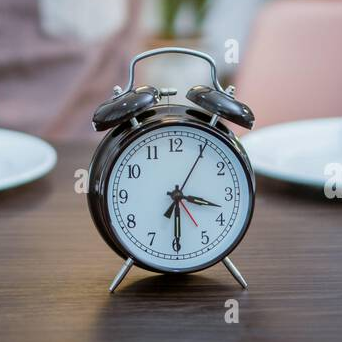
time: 3:30
